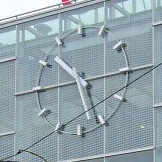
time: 10:26
